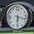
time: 6:17
